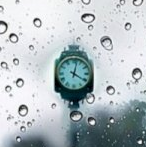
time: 4:02
